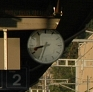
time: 8:33
